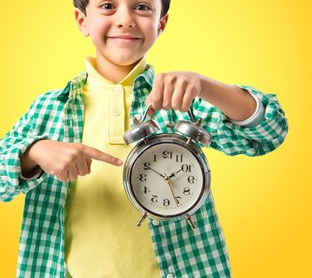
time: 1:49
